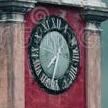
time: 7:32
